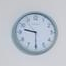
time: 9:30
